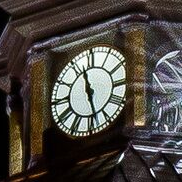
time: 11:28
